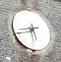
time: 5:42
